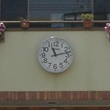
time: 11:12
